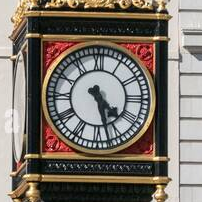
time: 4:27
